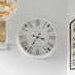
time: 3:35
